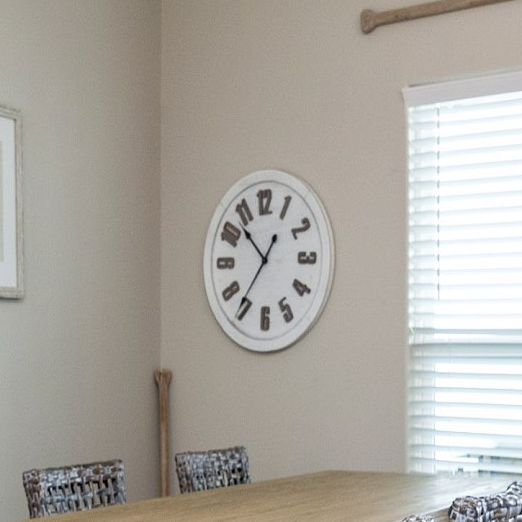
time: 12:52
